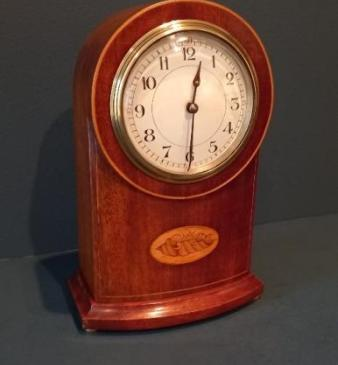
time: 12:30
